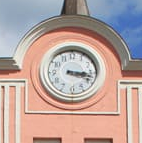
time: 3:17
